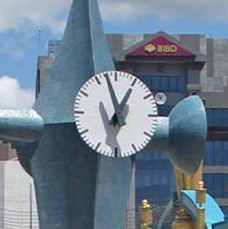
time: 12:57
